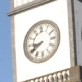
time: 8:39
